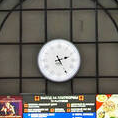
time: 2:25
